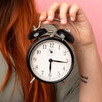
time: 6:15
